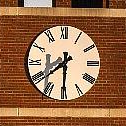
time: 7:30
